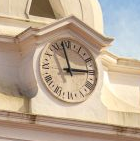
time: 2:58
